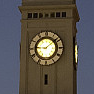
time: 9:08
